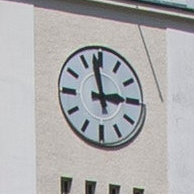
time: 2:58
